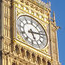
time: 5:12
